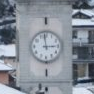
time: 2:58
